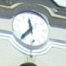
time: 11:36
